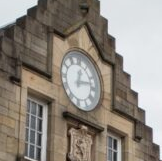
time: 12:13
